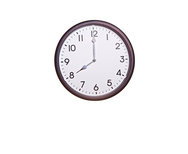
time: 7:59
